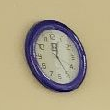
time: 12:24
